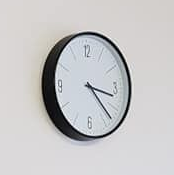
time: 3:22
